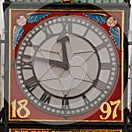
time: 11:46
